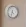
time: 4:33
